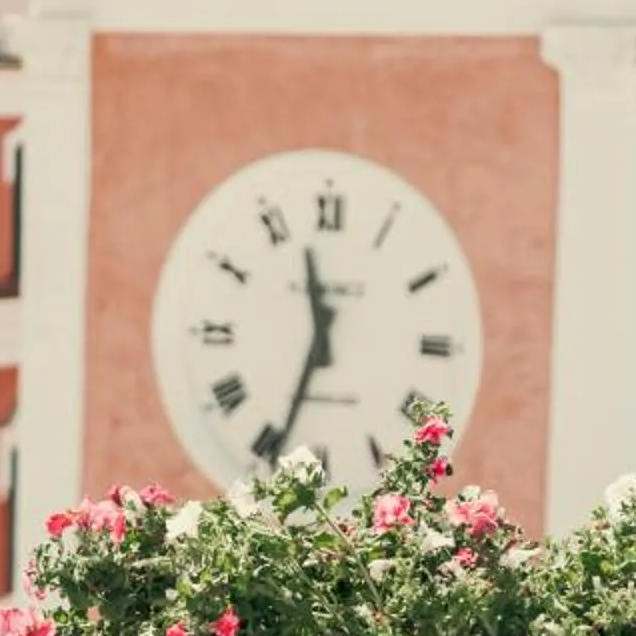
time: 11:33
